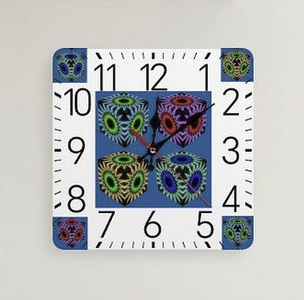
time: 12:08
